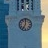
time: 7:00
